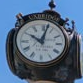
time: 10:02
